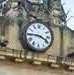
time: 3:45
